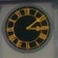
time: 3:08
